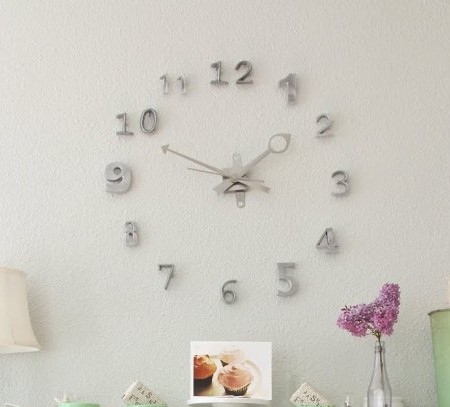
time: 1:48
